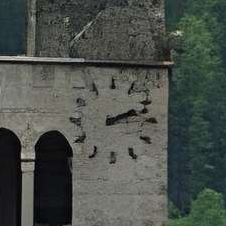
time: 2:12
